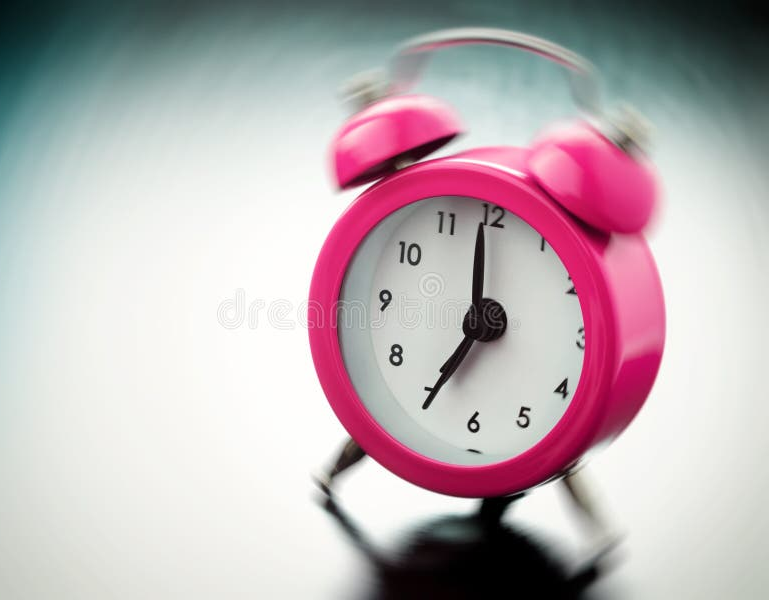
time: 6:59
